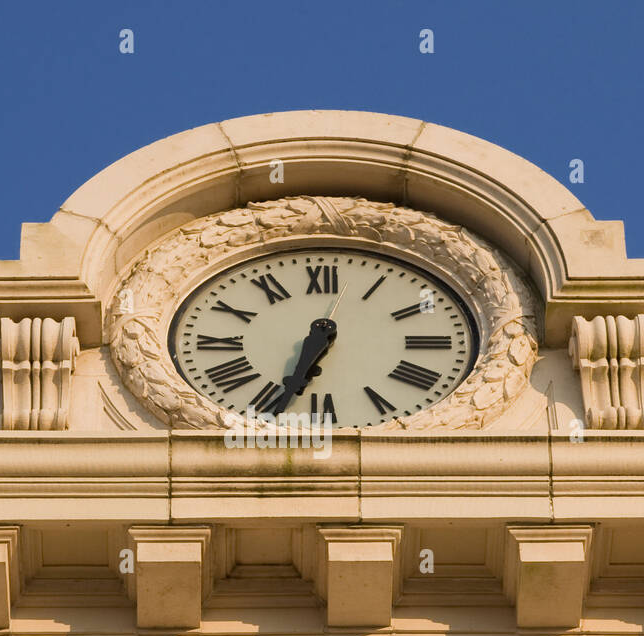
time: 6:33
